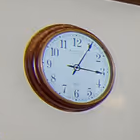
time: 3:05
